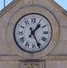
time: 1:26
